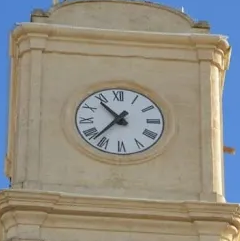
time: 10:37
